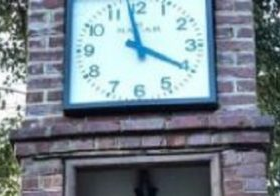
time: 3:58
